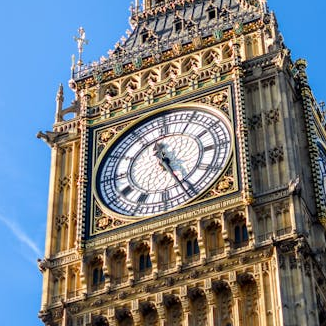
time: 11:25
